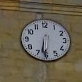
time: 6:30
